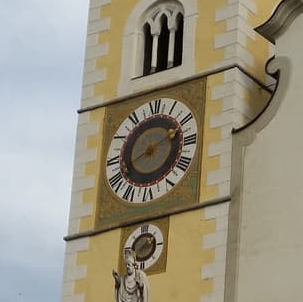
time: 8:11
